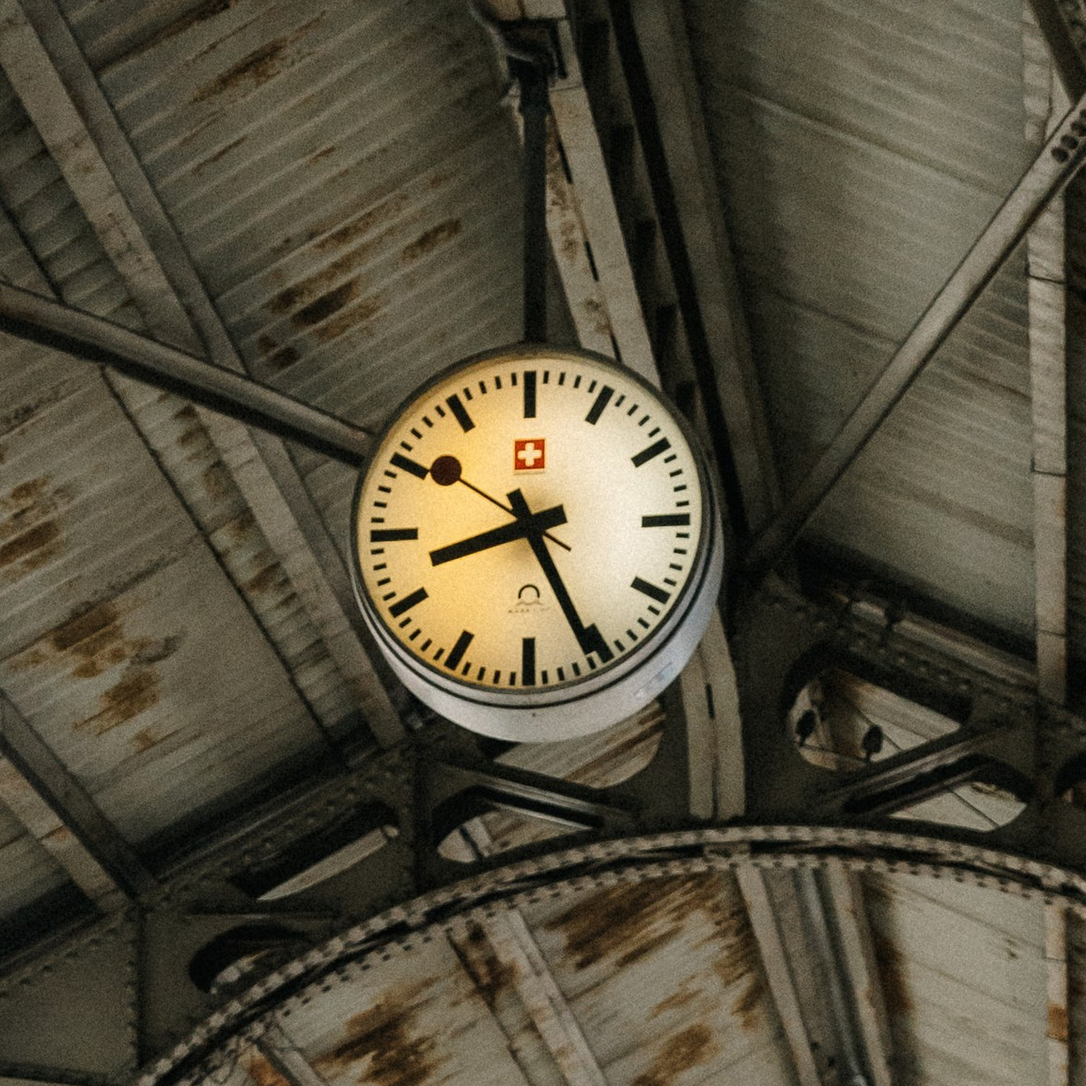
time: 8:25
